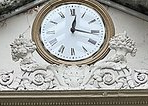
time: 12:16
